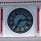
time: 2:35
